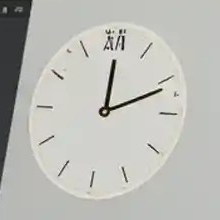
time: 12:11
